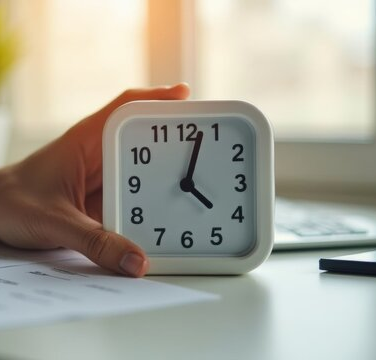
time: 4:02
